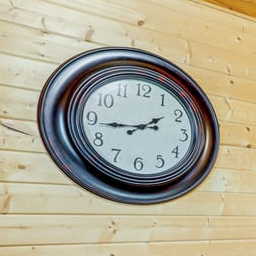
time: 1:43
